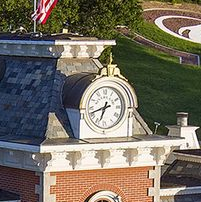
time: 6:41
